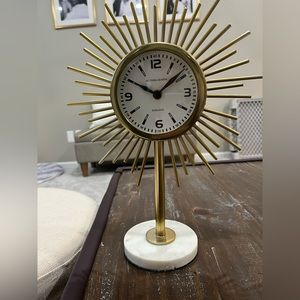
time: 10:07
